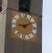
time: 9:09
